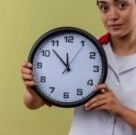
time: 11:52
